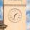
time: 1:32
